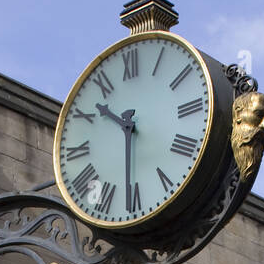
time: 10:31
